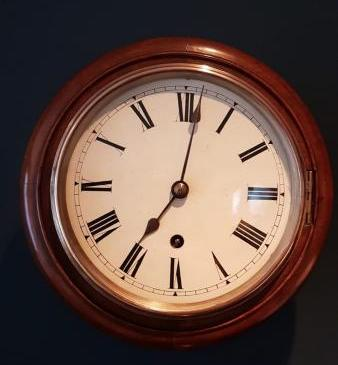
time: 7:01
